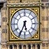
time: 5:34
